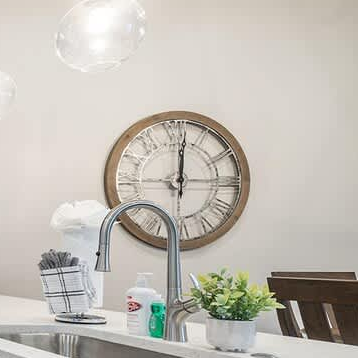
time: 12:01
